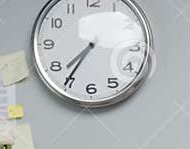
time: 7:35
